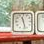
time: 11:27
